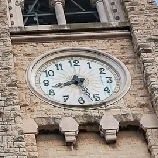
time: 8:26
